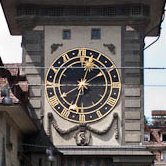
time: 12:33
